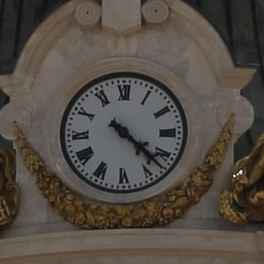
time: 4:22
